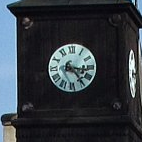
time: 3:23
